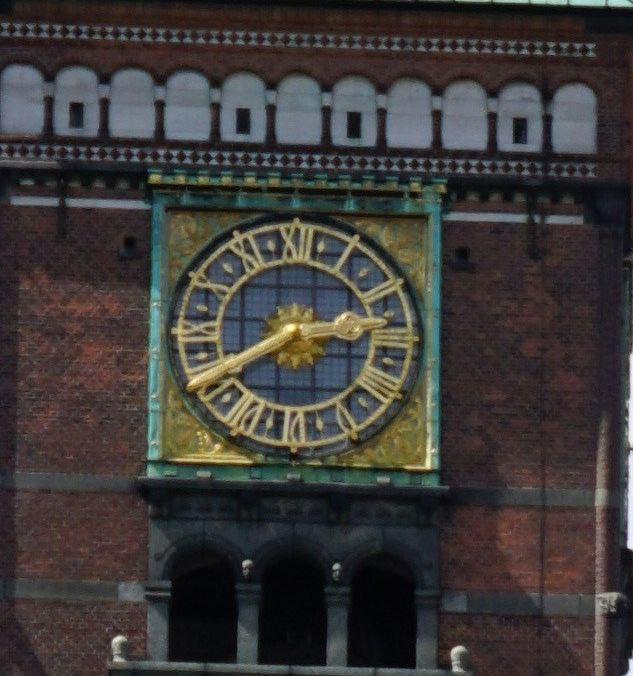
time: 2:40
